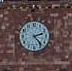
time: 2:23
